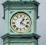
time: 1:20
